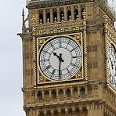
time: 10:31
